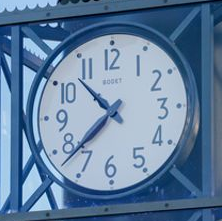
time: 10:37
